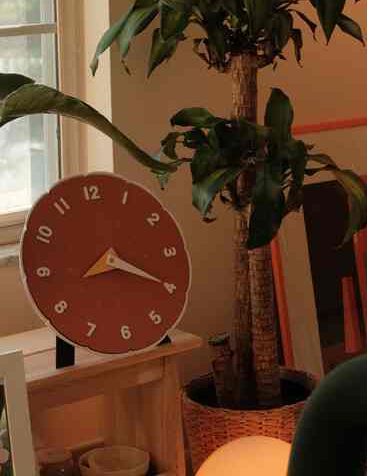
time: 8:19
